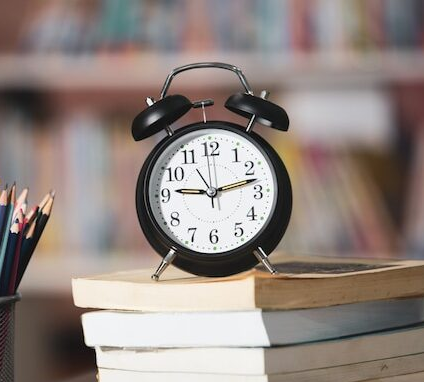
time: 9:12
